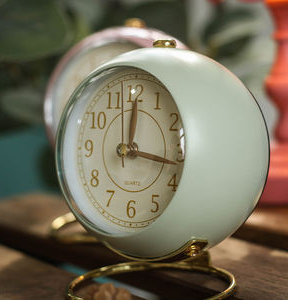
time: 12:16
